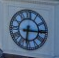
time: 6:15
